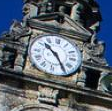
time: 10:24
